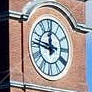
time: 11:46
